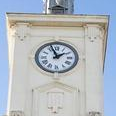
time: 1:56
